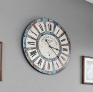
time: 3:22
